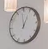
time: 12:58
